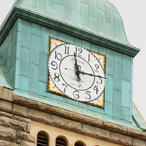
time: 2:58
